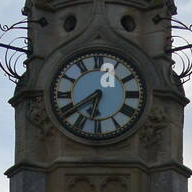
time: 6:39
